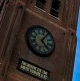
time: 5:05
